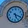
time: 5:18
